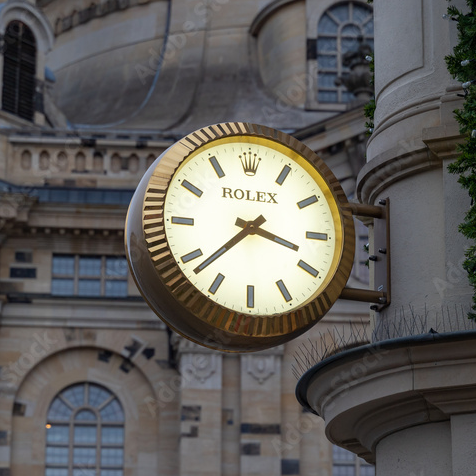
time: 3:37
